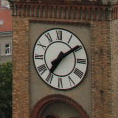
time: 7:09
